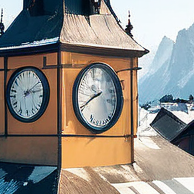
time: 8:40
